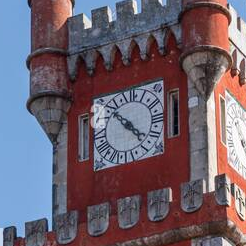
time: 4:52
